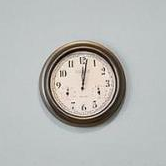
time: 12:01
